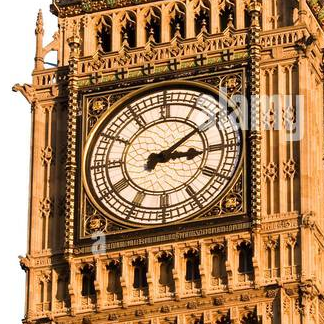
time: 3:09
